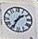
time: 1:34
